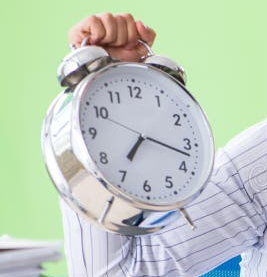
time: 7:17
